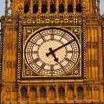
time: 5:09
